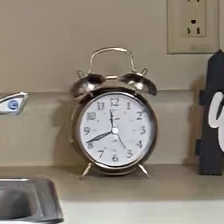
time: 11:41
